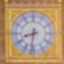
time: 8:31
